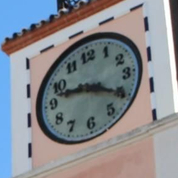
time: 9:20
